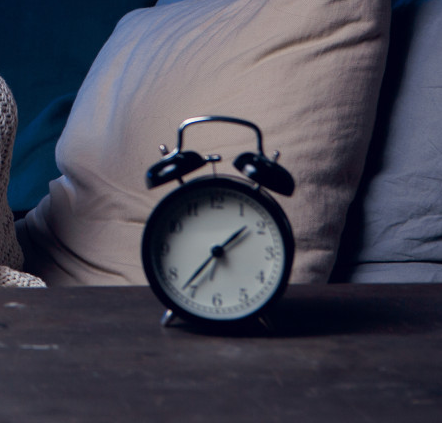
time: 1:36
